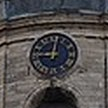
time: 9:01
